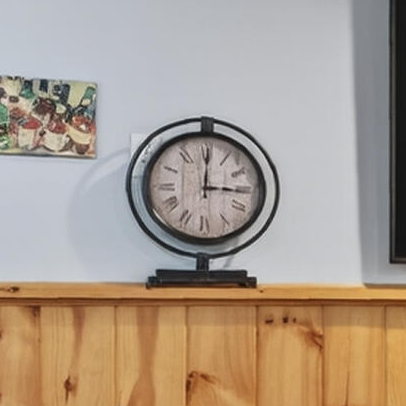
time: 3:00
